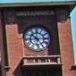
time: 10:14
